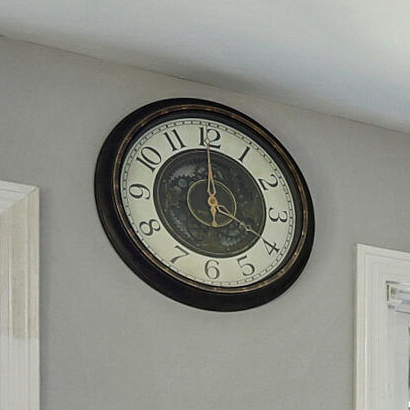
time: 3:59
